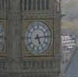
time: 5:13
